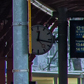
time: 12:16
